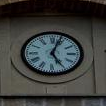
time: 5:03
